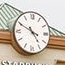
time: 4:49
